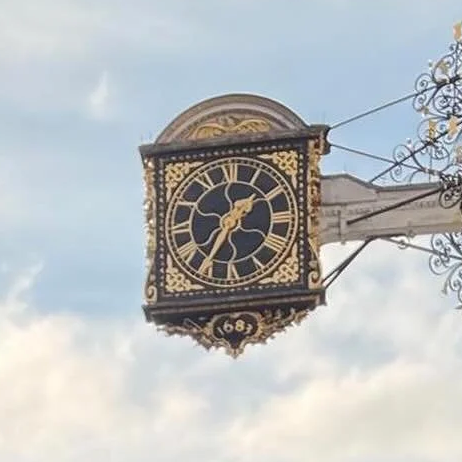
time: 1:35
